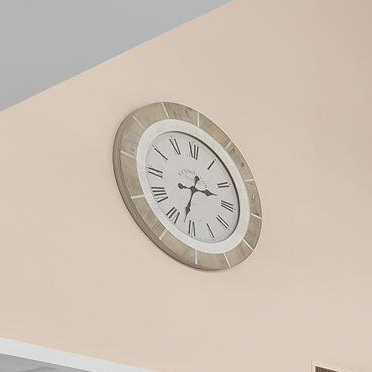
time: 2:32
